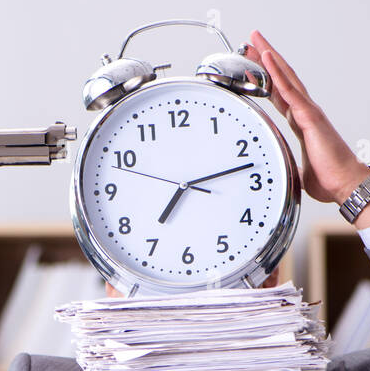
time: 7:12
